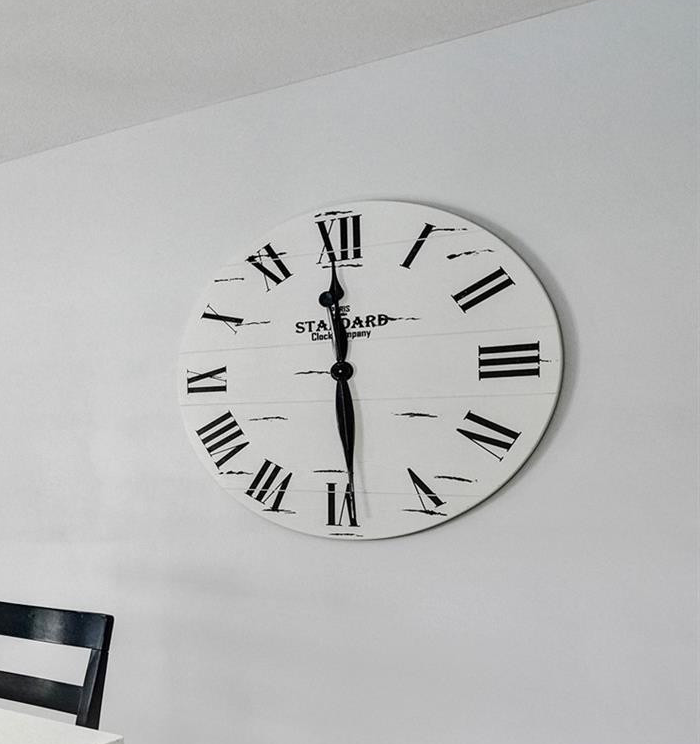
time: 5:59
